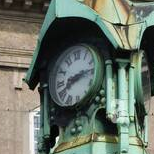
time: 8:14
